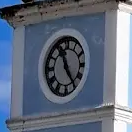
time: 11:24
